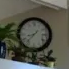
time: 8:37
